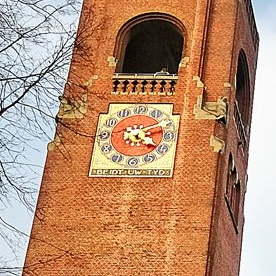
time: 4:10
